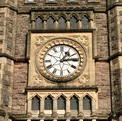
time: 1:13
